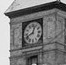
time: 12:41
